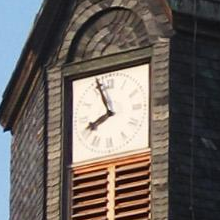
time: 7:56
